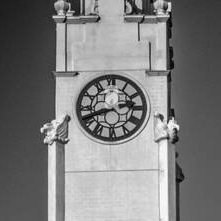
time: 2:41
